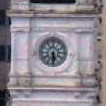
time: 5:30
